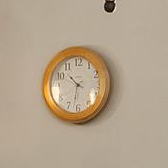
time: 10:32
